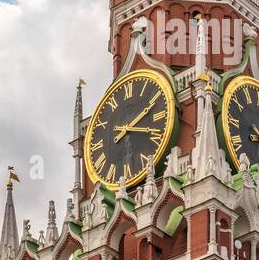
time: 2:18
